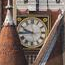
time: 9:44
